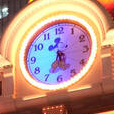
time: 5:34
